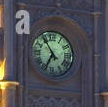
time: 6:54
